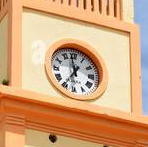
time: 11:35
